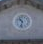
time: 10:32
